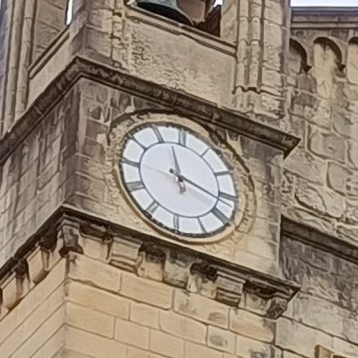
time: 11:17
